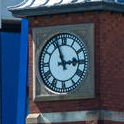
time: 2:56
